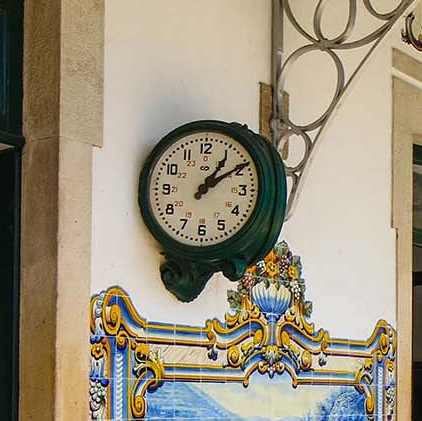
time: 1:09
